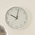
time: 10:02
